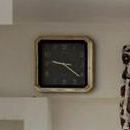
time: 9:21
